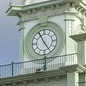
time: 4:55
